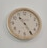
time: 10:24
